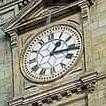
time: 1:16
